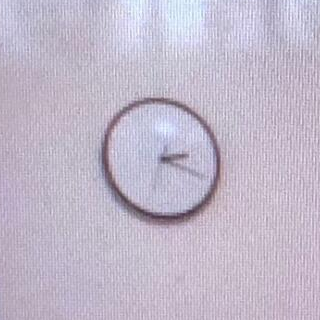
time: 2:18
